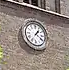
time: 1:20
